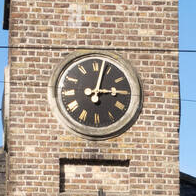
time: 3:02
